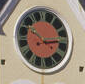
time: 10:13
